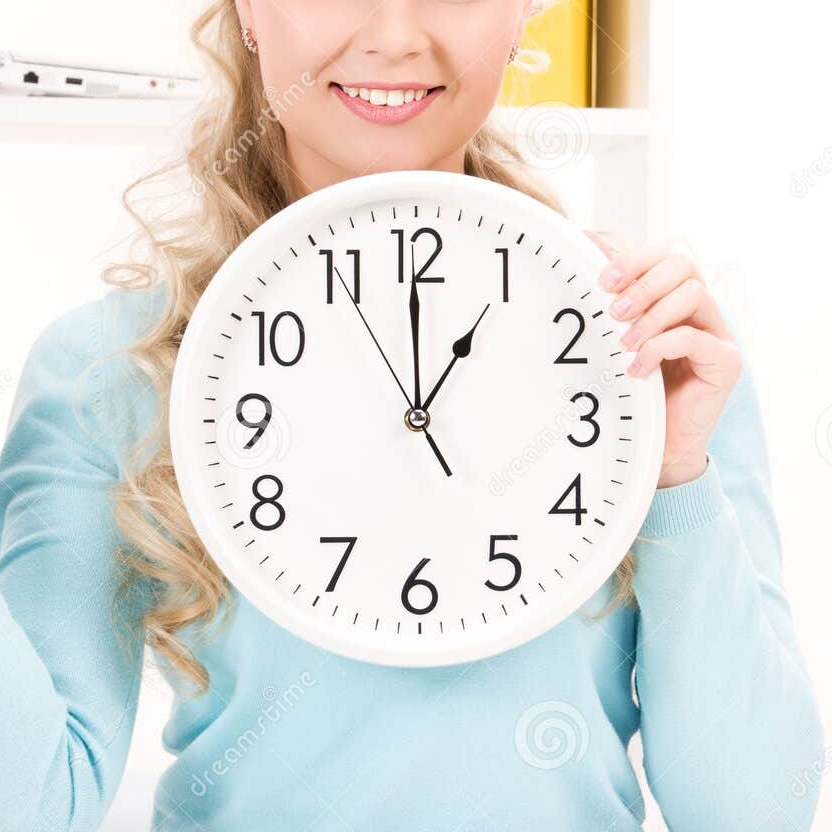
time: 12:59
